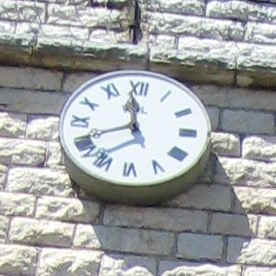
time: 11:41
